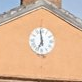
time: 6:58
